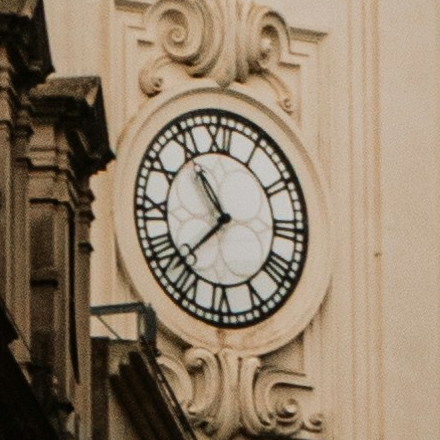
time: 10:37
